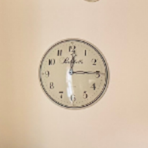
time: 12:14
